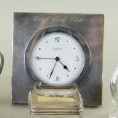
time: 4:33
